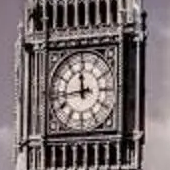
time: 11:43
